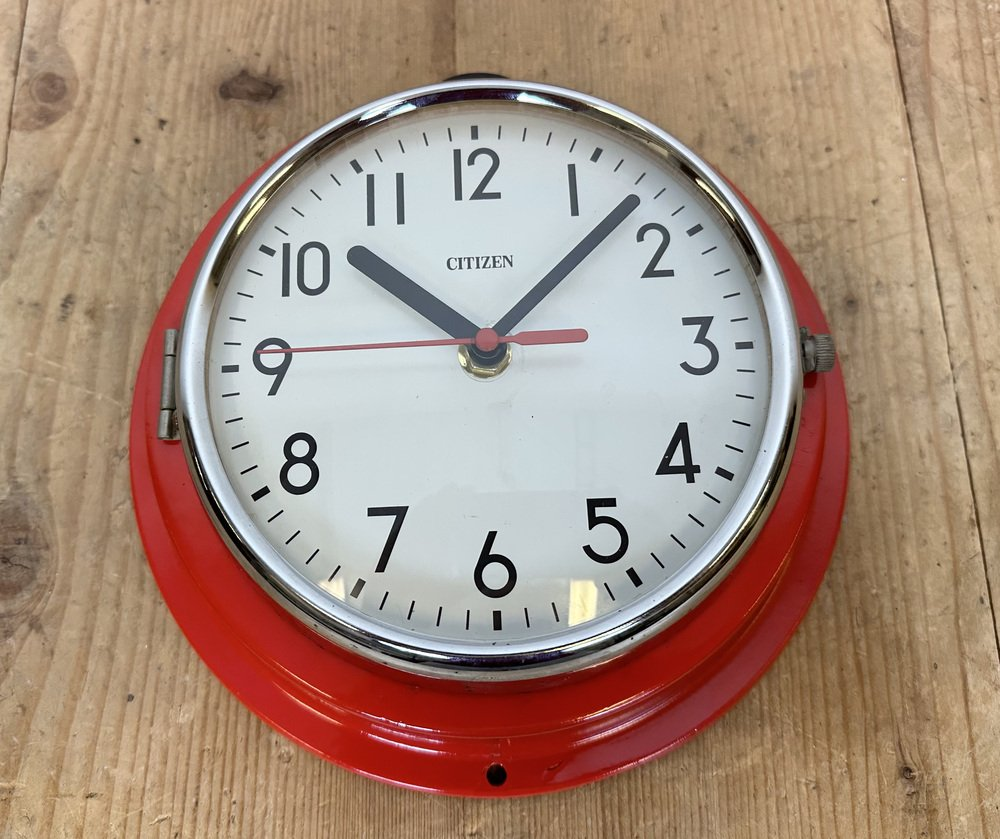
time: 10:07
